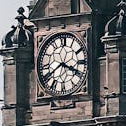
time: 3:40
